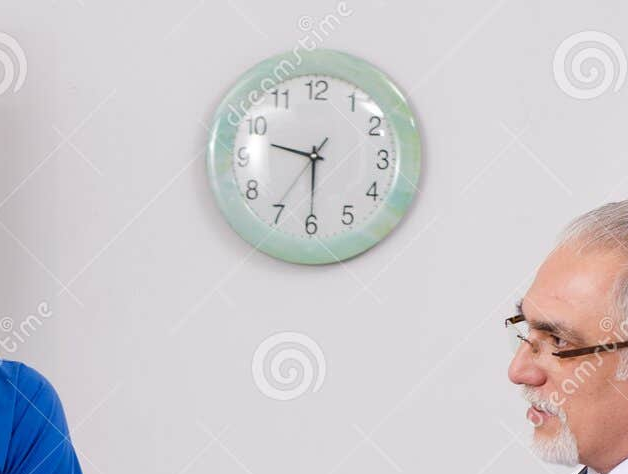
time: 9:30
